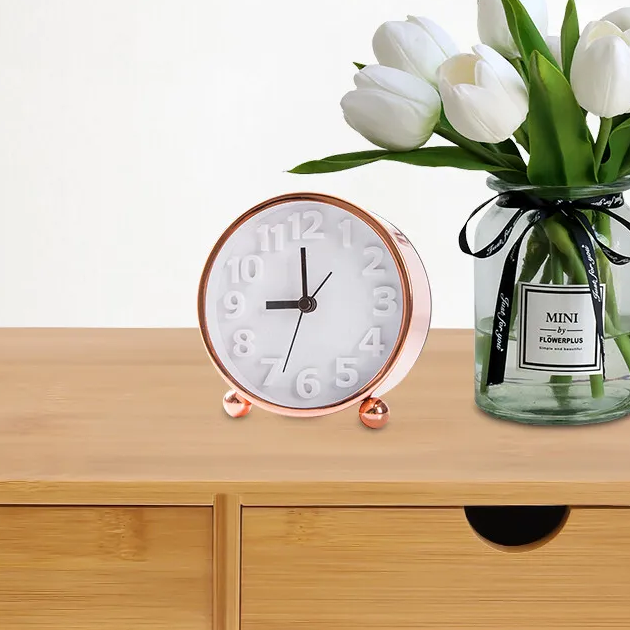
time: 8:59
